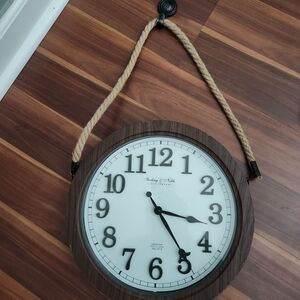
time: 3:24
